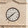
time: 1:38
